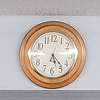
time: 5:22
